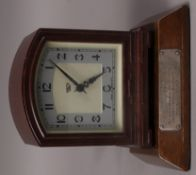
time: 1:51
